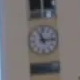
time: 11:13
